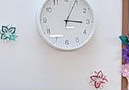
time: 3:04
